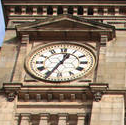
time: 12:34
